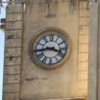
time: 3:43
